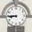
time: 8:45
